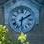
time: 6:10
